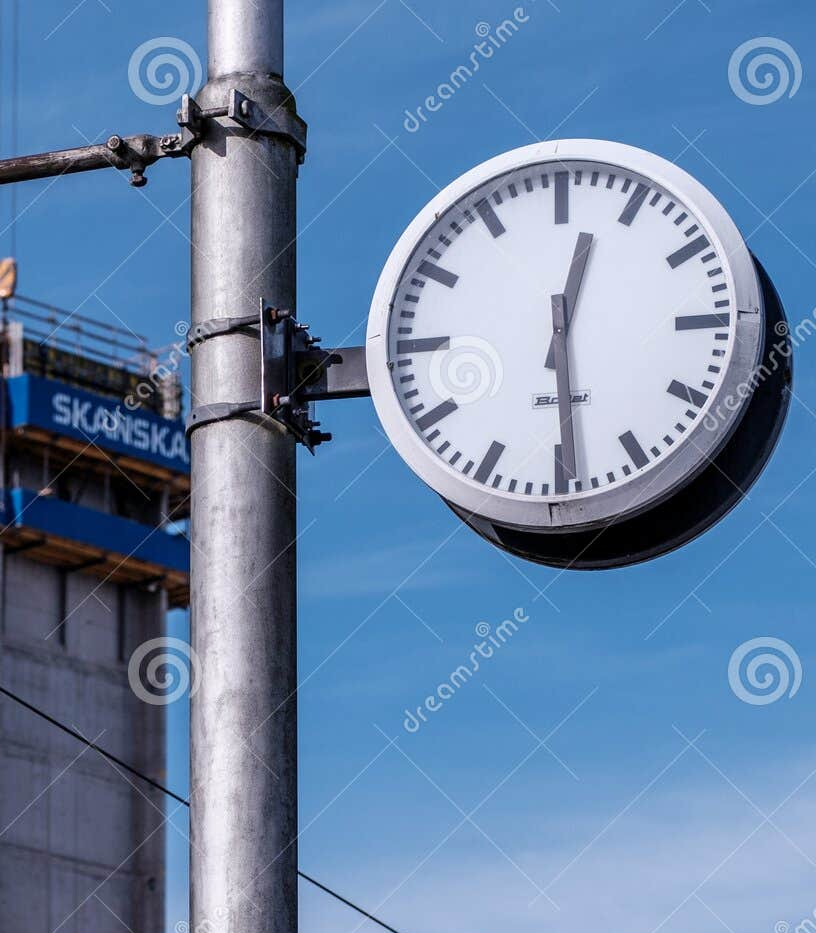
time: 12:29
